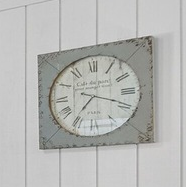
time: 7:18
